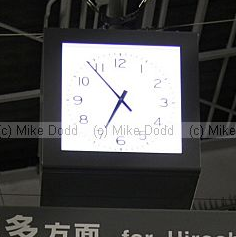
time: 6:53
